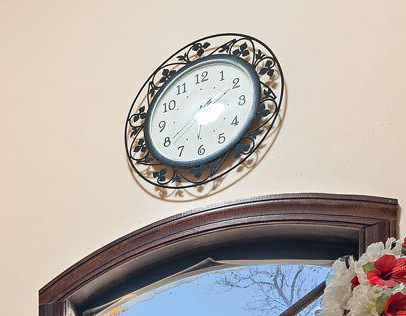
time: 6:10
